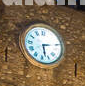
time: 2:27
